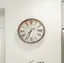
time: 7:33
